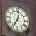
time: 7:01
